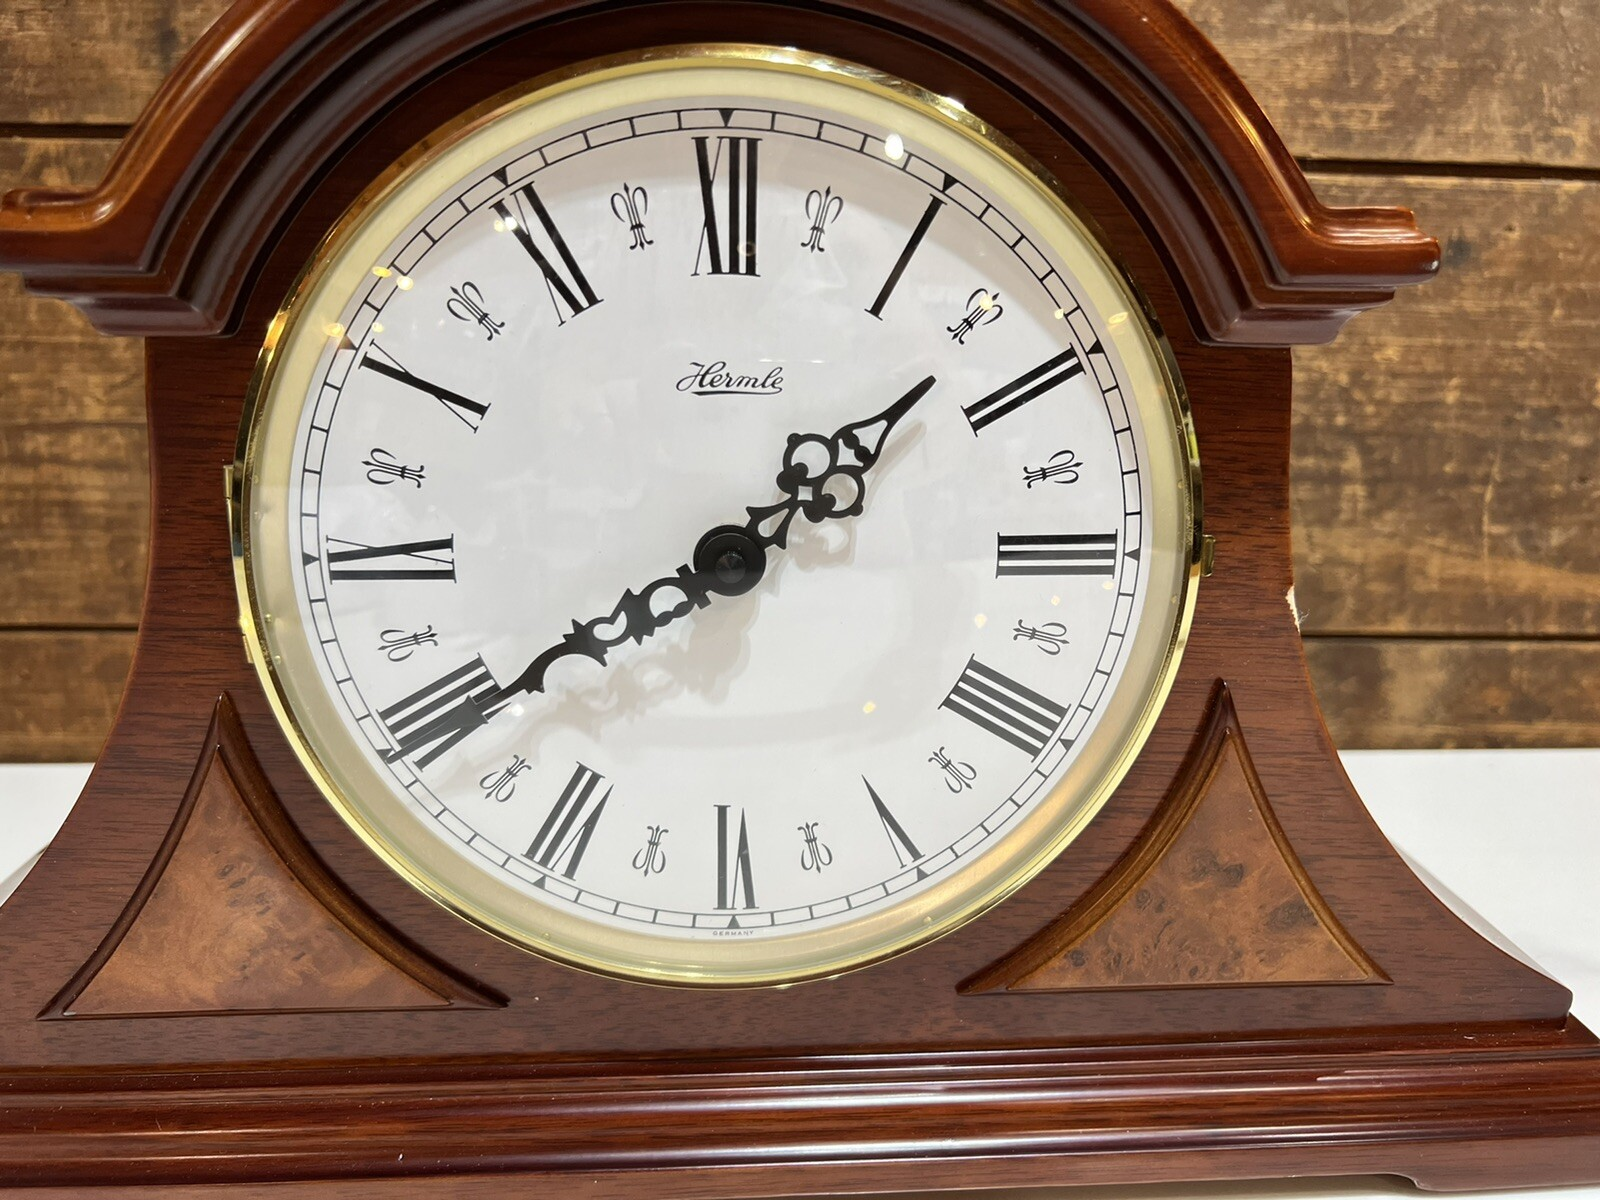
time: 1:39
